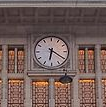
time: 6:20
